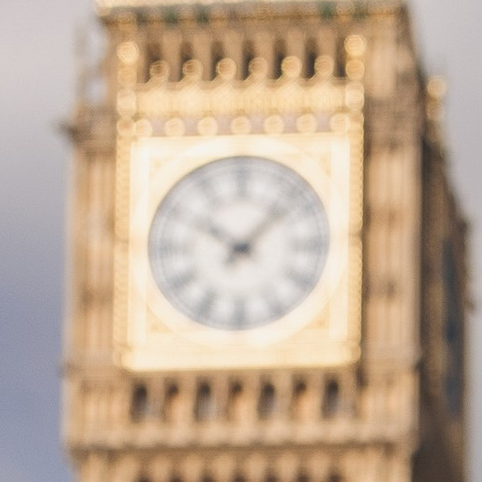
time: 10:07
